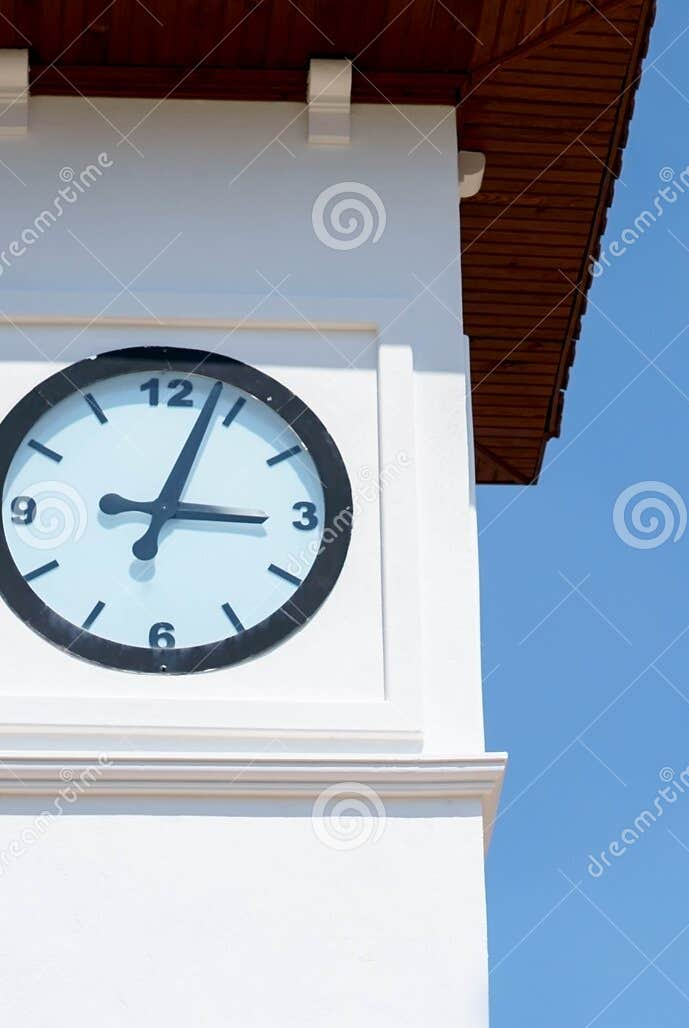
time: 3:03
